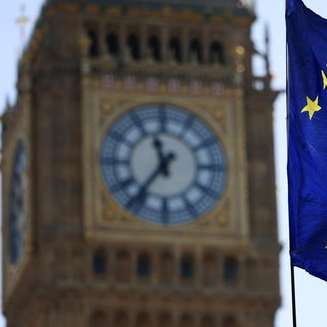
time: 11:36
